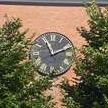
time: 11:11
